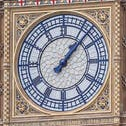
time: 1:07
